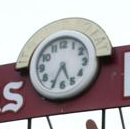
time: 5:34
